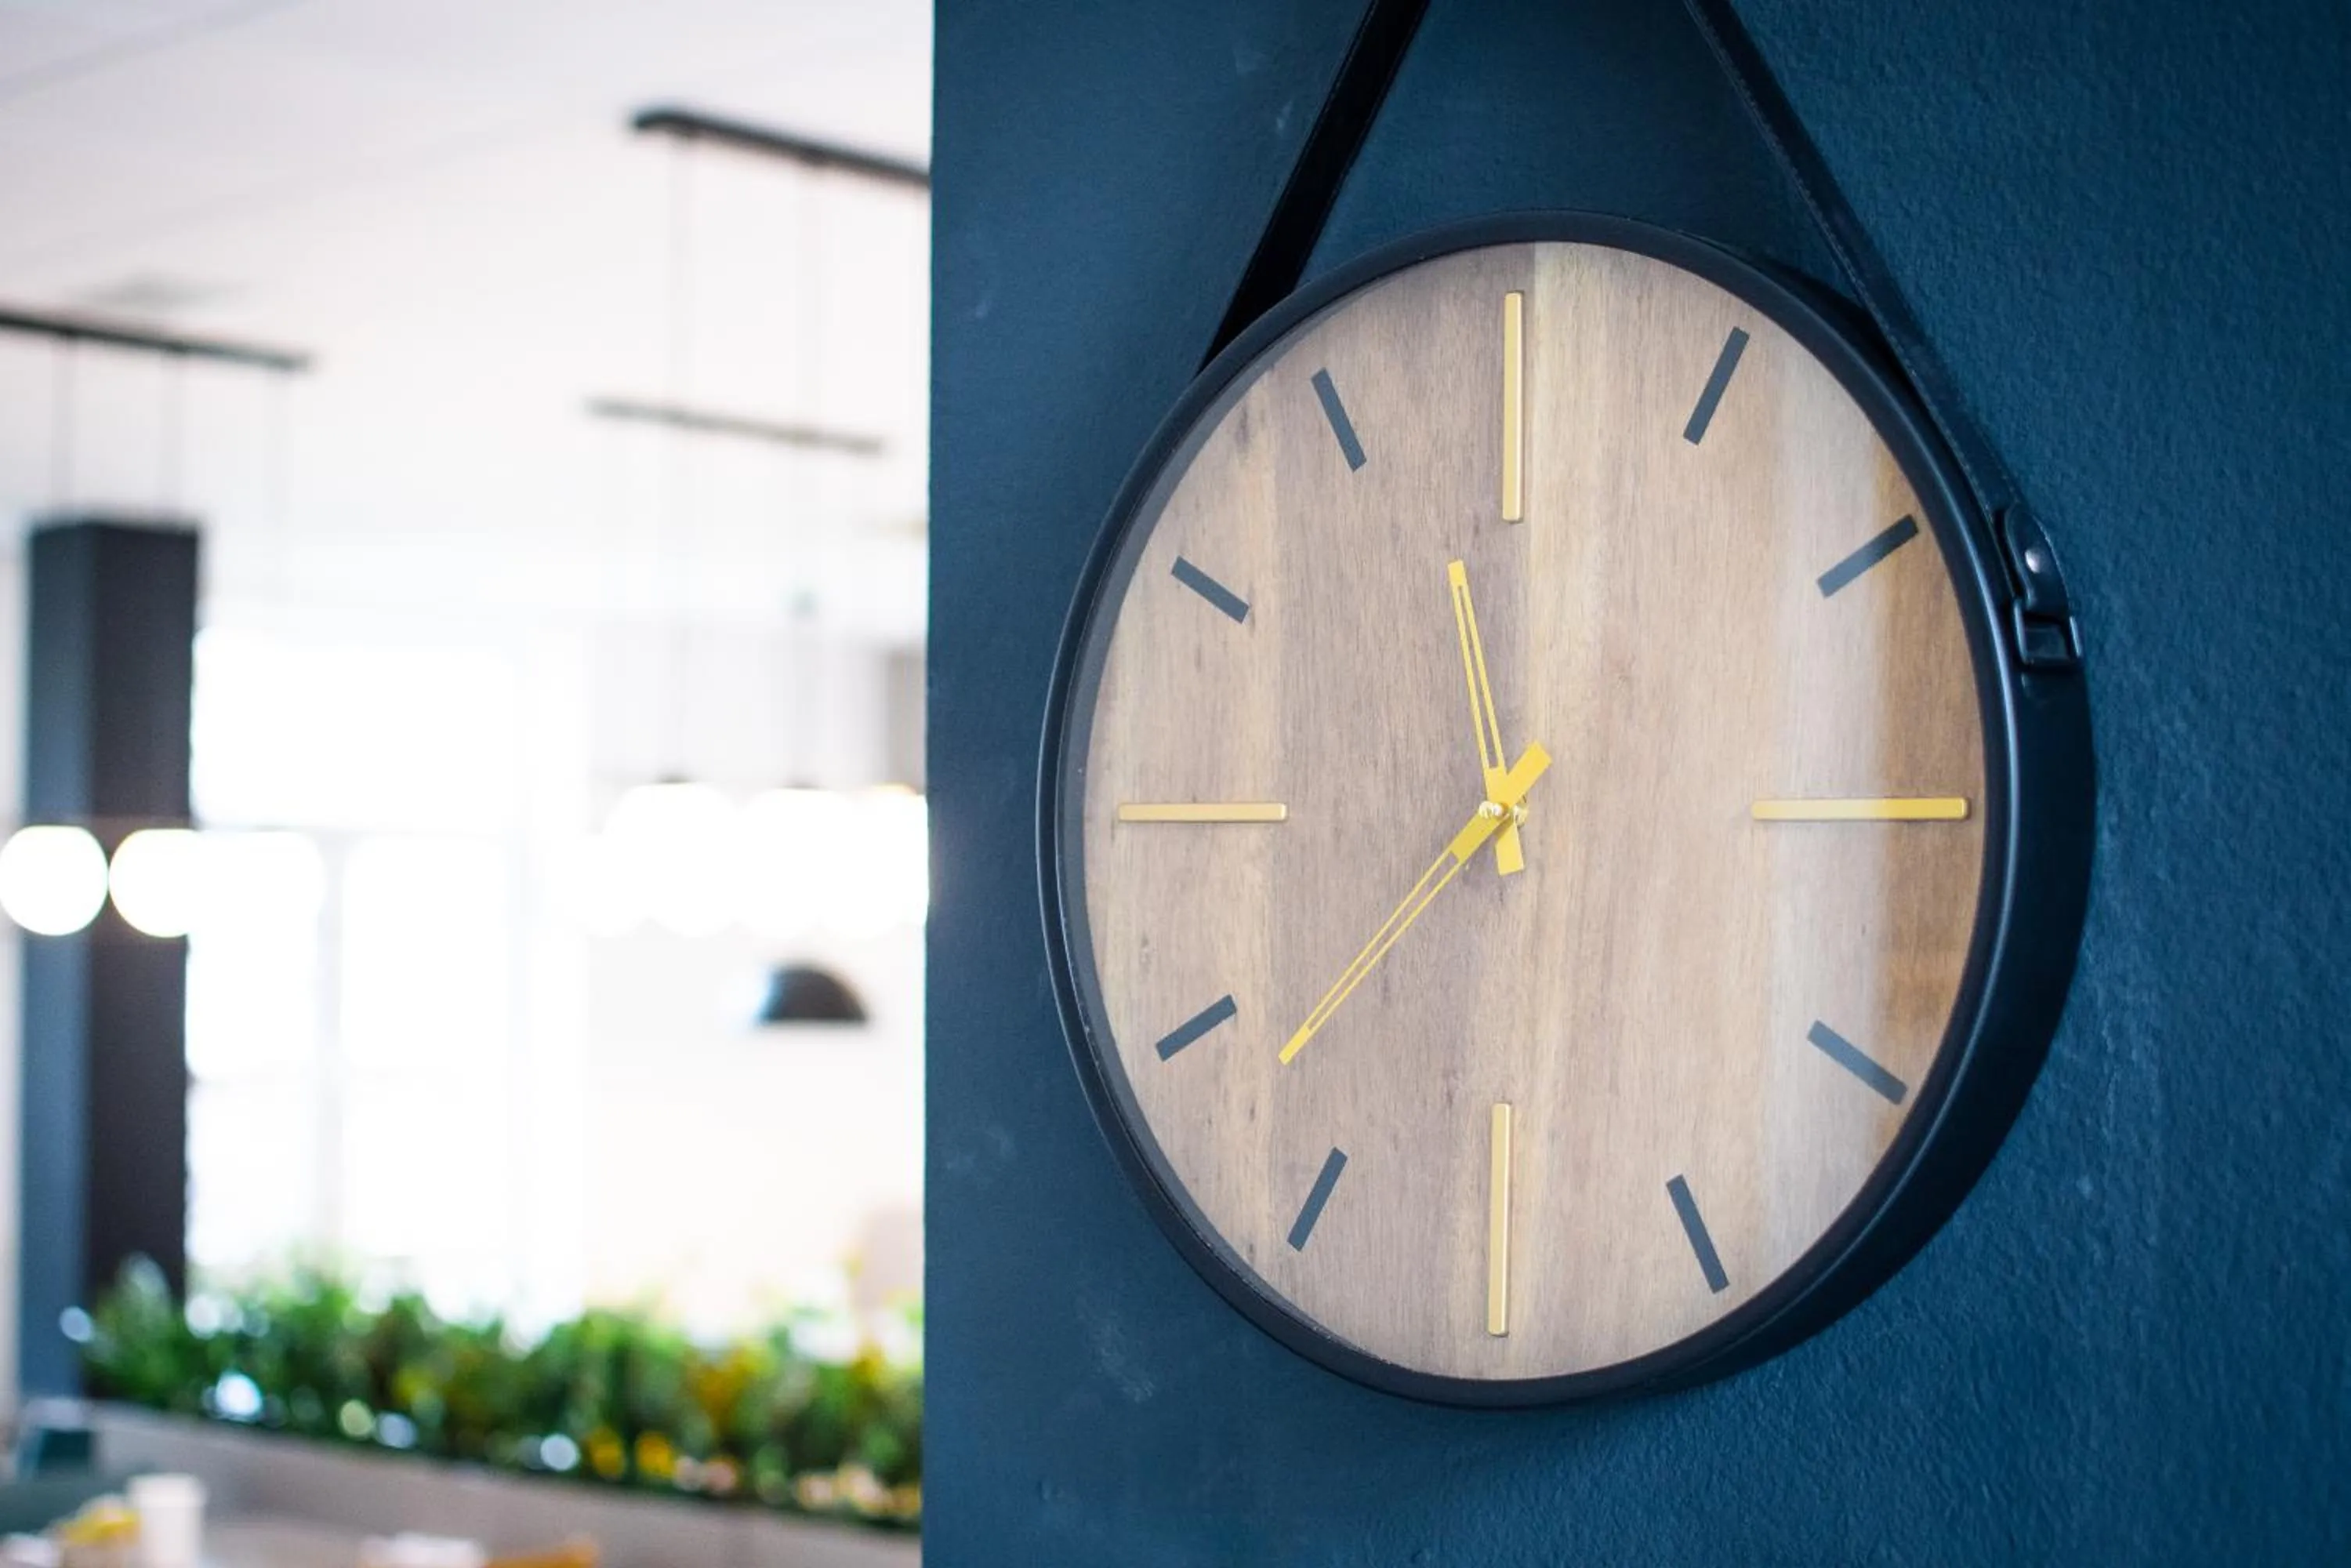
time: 11:38
